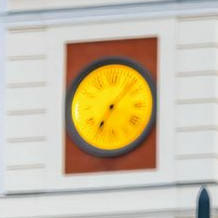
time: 7:07
